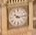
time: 10:14
